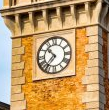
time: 10:36
